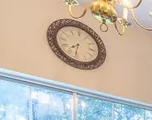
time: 7:32
